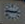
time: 2:46
